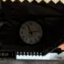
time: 11:13
